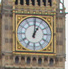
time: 1:01
